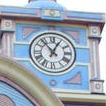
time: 12:53
